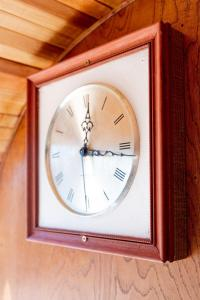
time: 12:16
